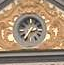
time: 2:35
